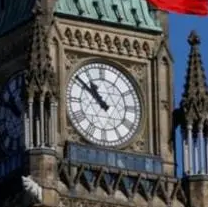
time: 10:51
